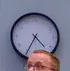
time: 4:34
